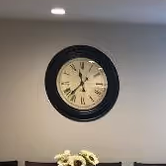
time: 11:37
